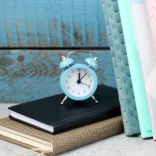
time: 12:07
